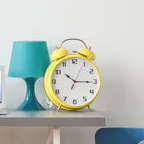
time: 10:15
